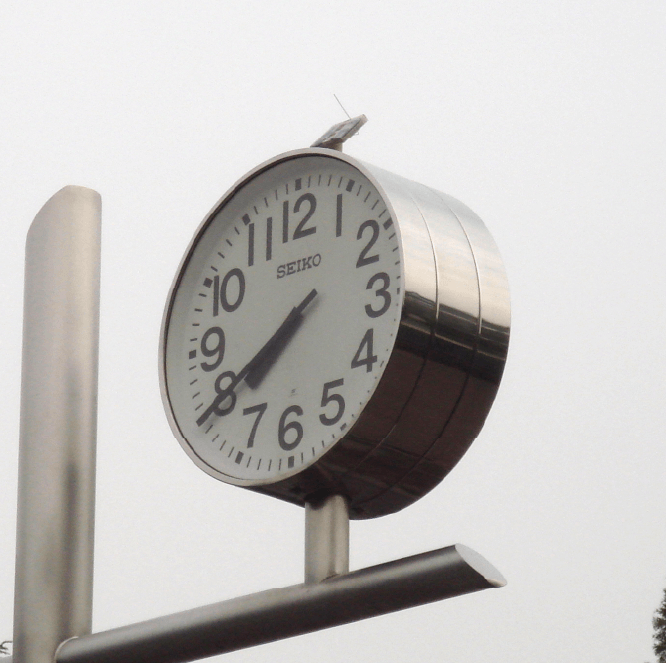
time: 7:40
